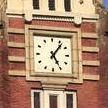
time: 5:06
